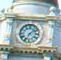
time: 7:08
